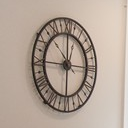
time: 5:59
